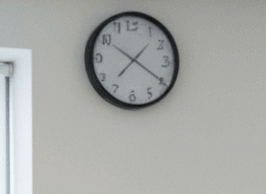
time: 7:20
